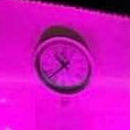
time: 10:37
